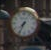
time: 7:34
